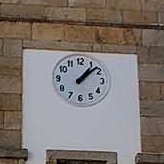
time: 1:07
